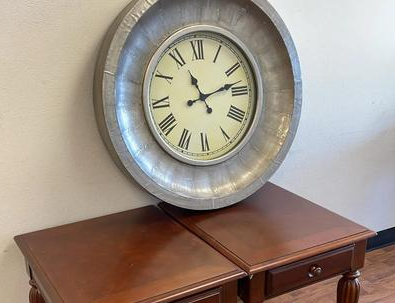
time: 11:13
